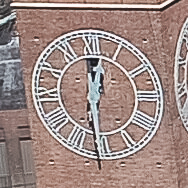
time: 12:30
